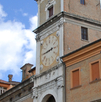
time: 2:44
